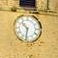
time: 10:32
